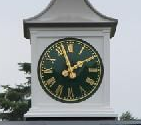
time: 1:57
